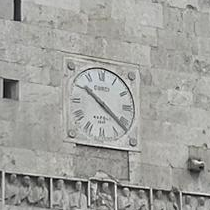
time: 10:21
